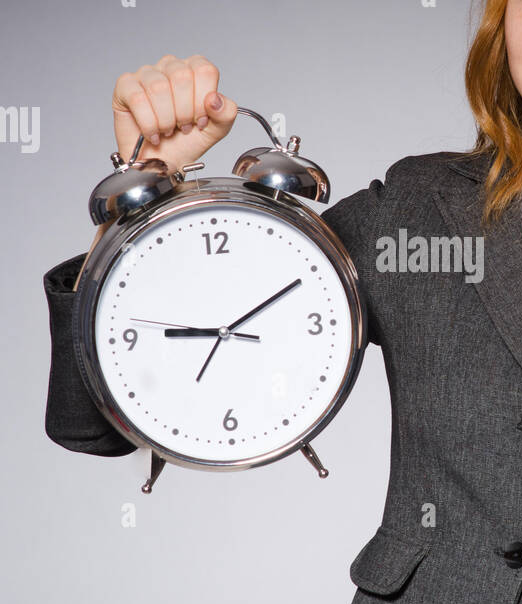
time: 9:10
